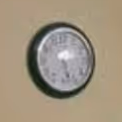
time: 5:27
